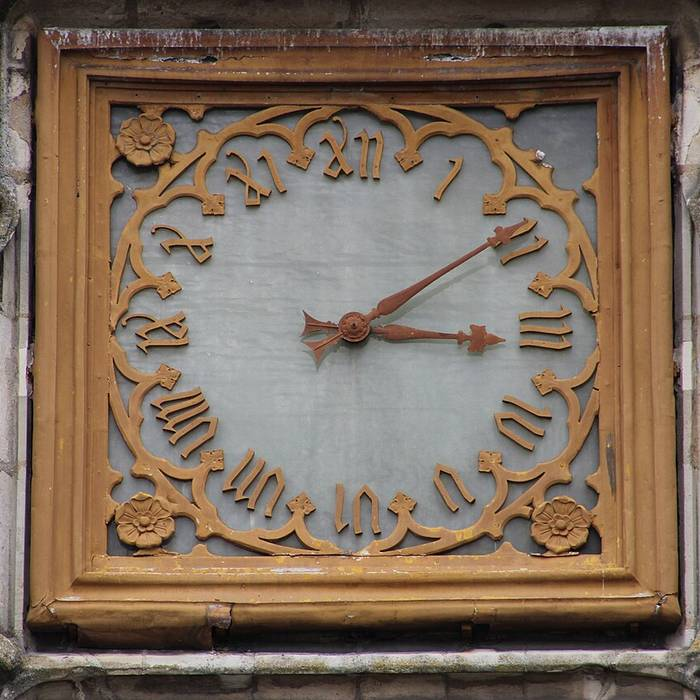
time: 3:09
